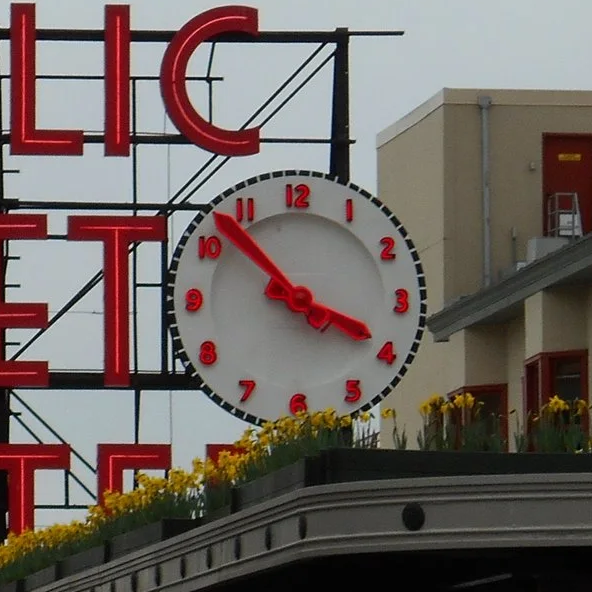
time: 3:52
